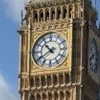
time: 10:39
